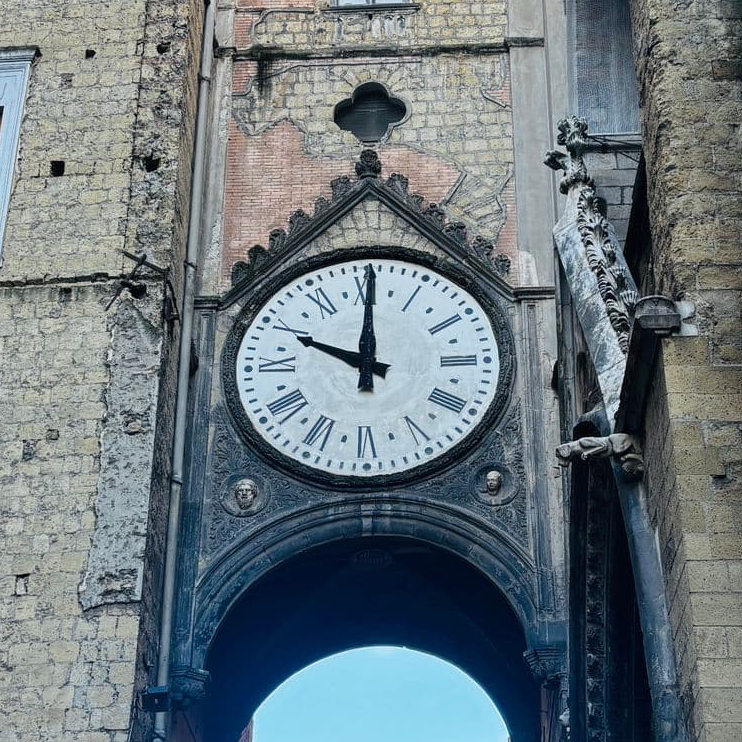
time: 10:00
